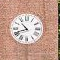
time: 10:41
